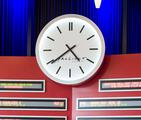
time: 4:39
